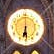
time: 6:29
